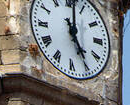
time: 5:01
